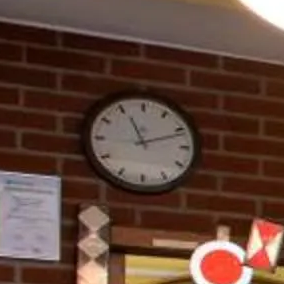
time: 11:11
